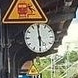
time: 5:59
